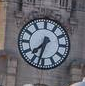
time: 7:32
